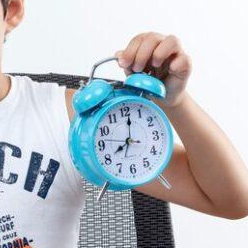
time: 8:01
